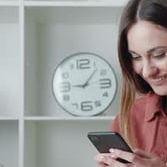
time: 9:06
